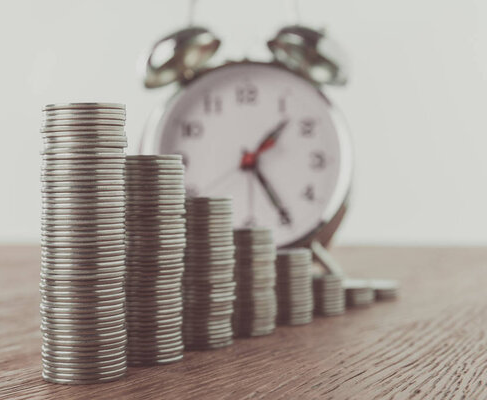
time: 1:24
